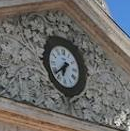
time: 6:38
